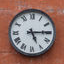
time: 5:14
